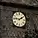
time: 1:46
